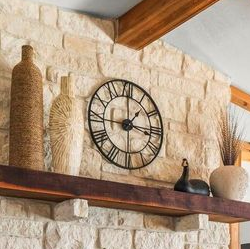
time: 1:16
